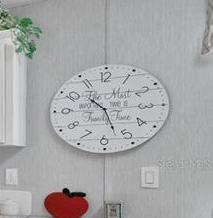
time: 10:26
